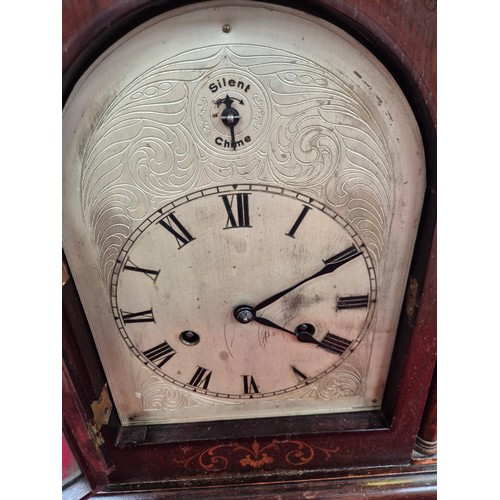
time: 4:10
